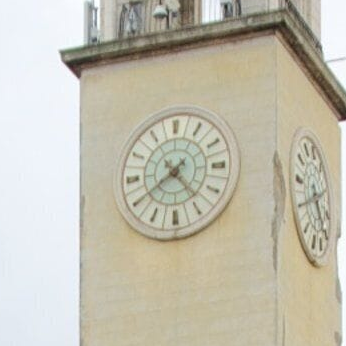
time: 4:39
